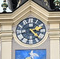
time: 2:21
